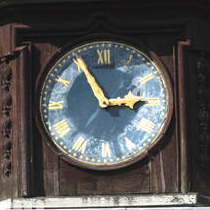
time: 2:55
